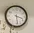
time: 3:28
